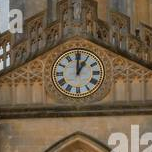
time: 1:00
